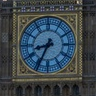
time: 8:34
